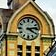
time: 4:13
